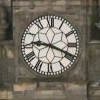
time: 9:18
